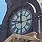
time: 11:46
